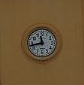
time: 11:42
